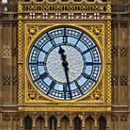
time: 11:28
